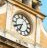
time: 6:40
